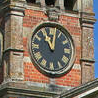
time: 11:02
